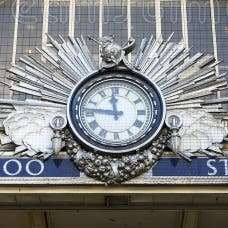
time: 11:46
